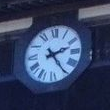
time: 2:24
